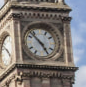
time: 4:52
